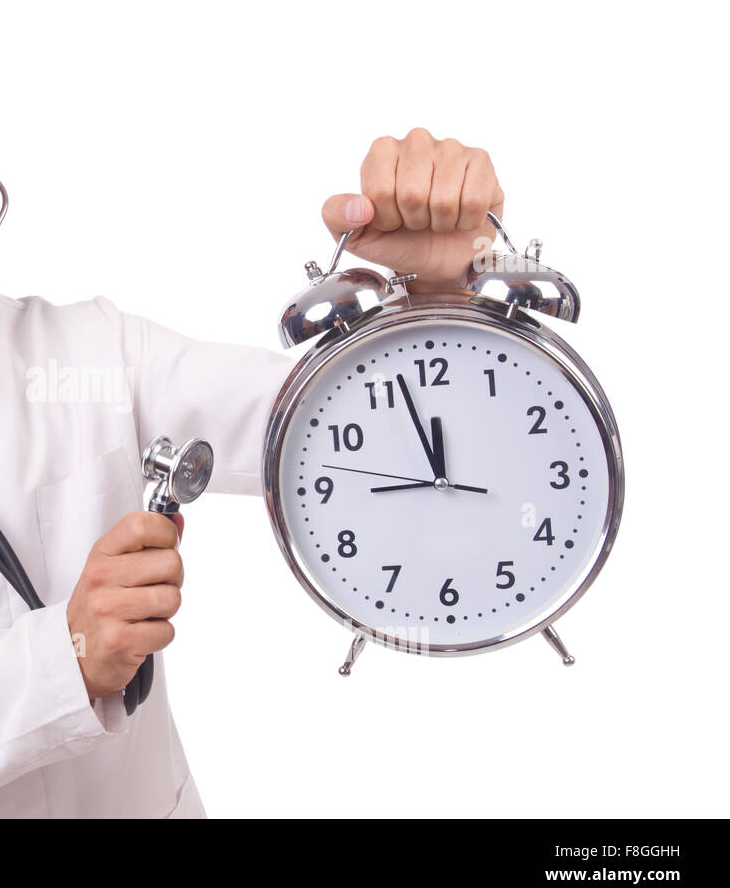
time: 8:57
